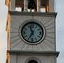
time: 6:56
